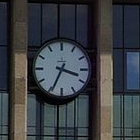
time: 3:34
